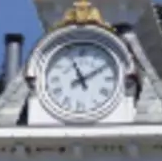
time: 11:09
